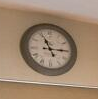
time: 11:14
